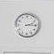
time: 2:14
